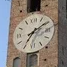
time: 7:09
